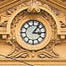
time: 3:06
